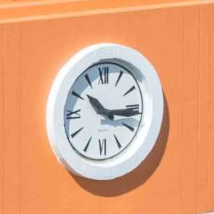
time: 10:15
